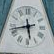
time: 5:42
